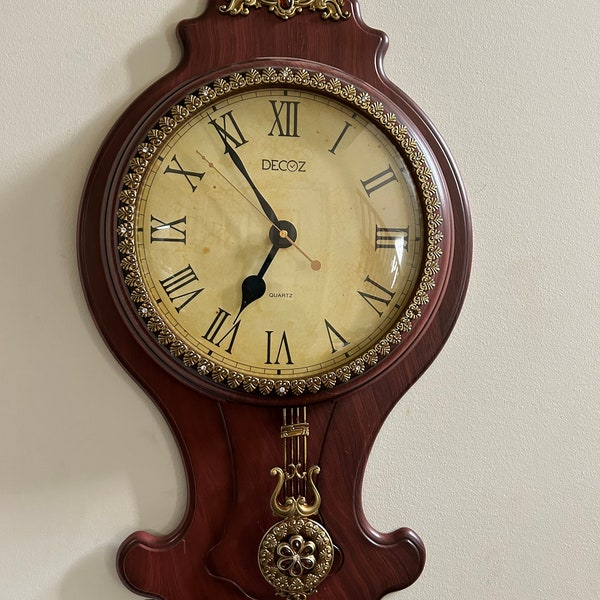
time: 6:54
